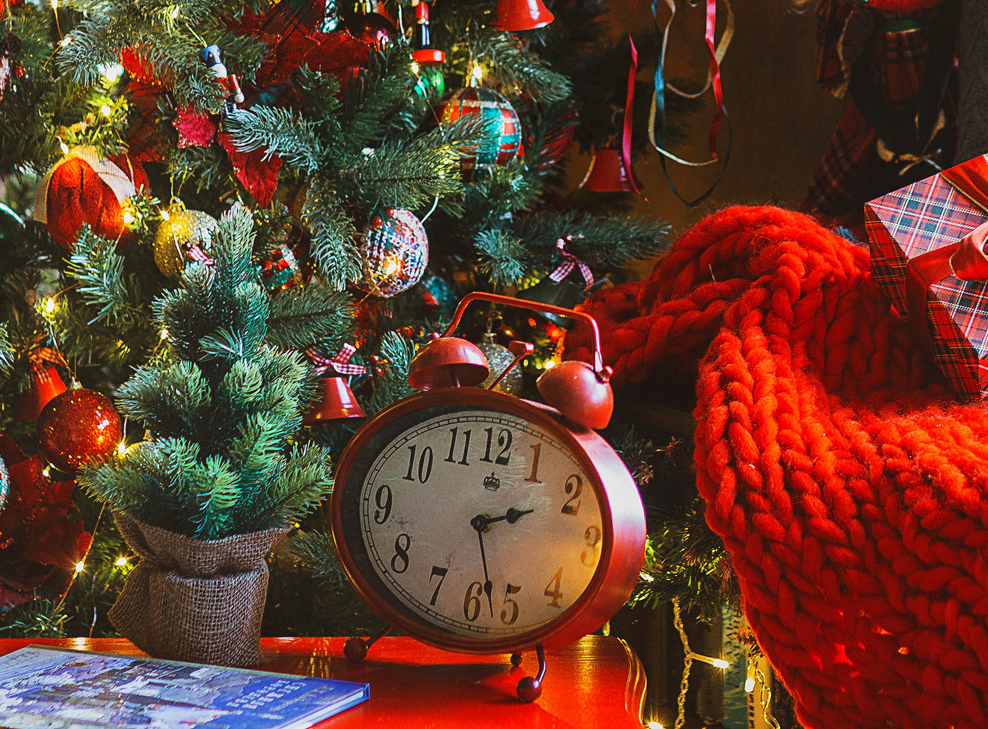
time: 2:27
